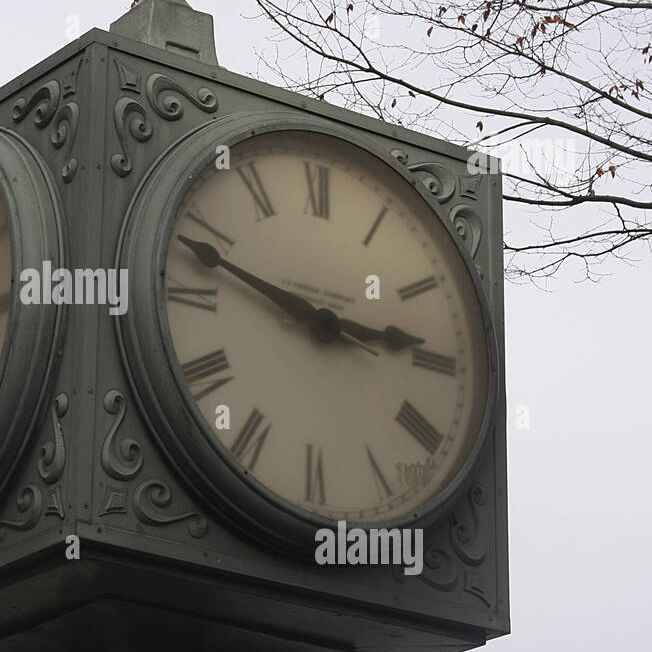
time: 2:48
